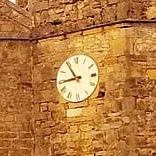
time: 8:54
